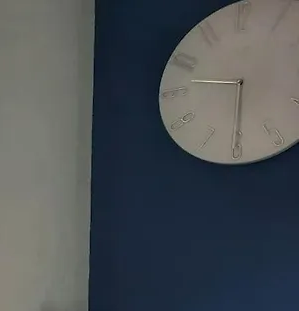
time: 9:30
